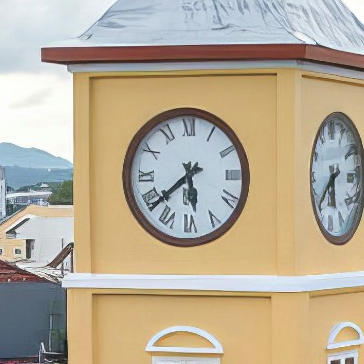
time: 5:38
